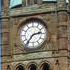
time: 2:36
